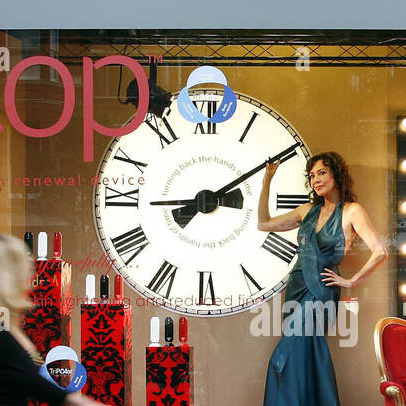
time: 3:09
